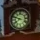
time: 7:48
